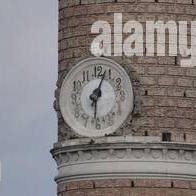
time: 6:03
